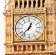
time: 12:37
